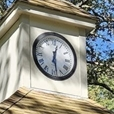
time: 12:28
